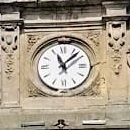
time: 11:07
